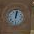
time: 12:02
